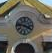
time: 3:47
